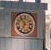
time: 6:54
